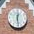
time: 12:28
